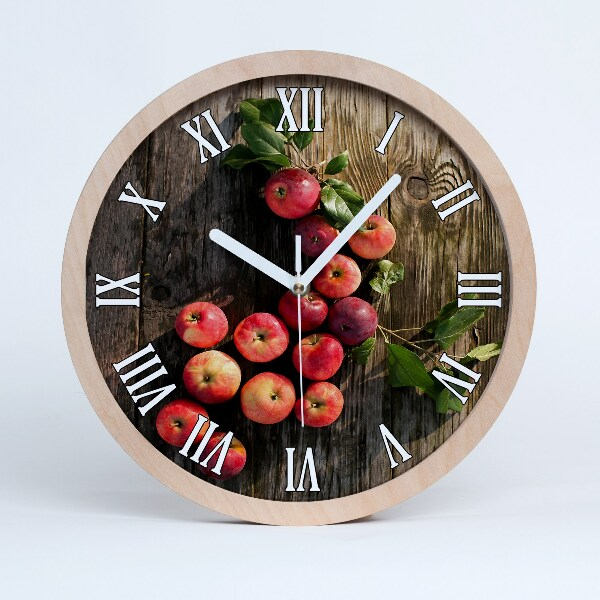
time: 10:07
